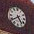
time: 4:39
